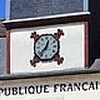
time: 12:37
